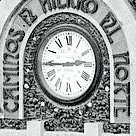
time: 2:45
